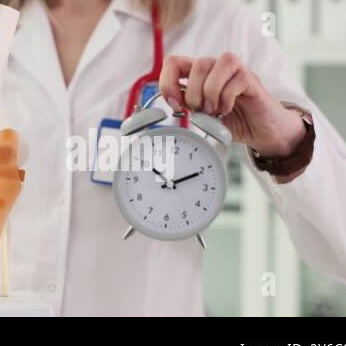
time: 10:10
